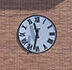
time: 11:32
